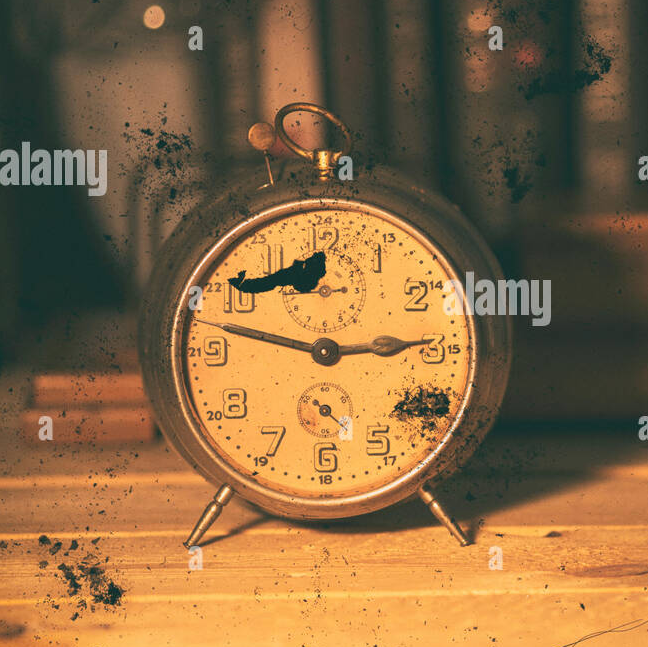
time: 2:47
